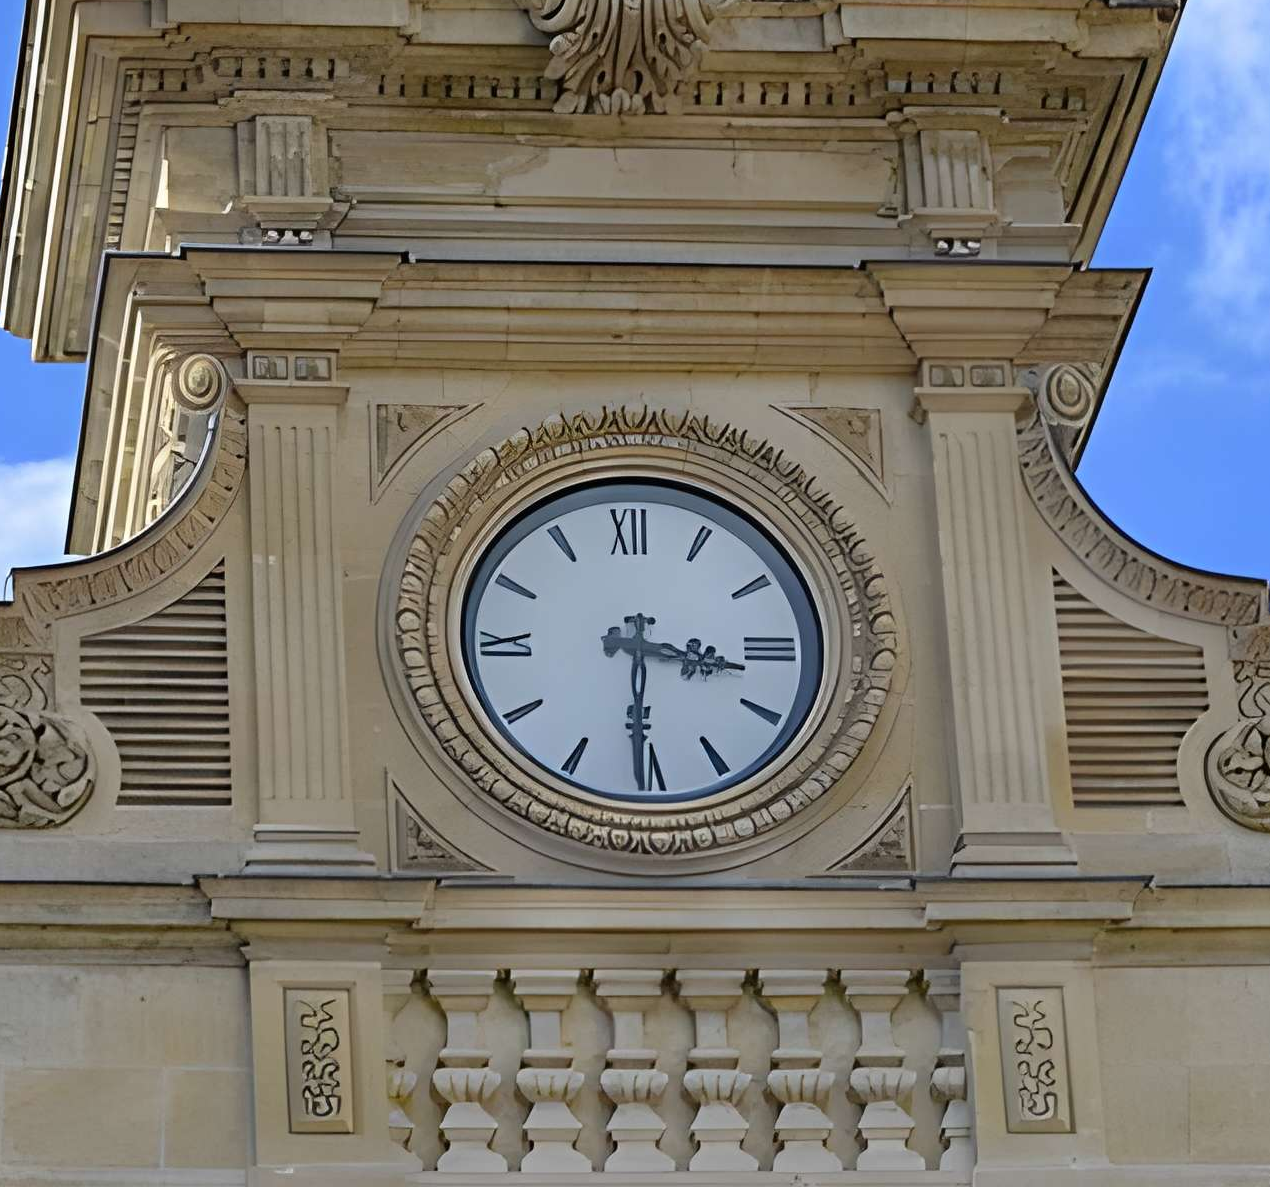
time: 3:30
